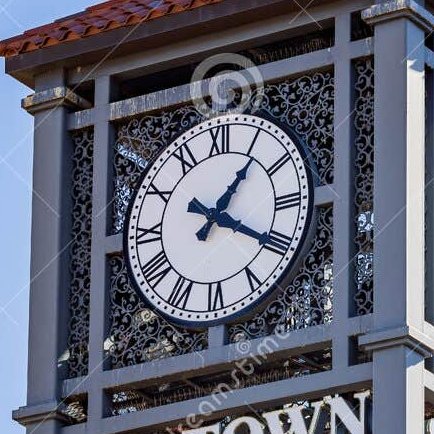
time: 1:20
